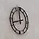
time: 11:42
